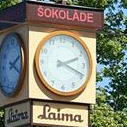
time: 2:18
